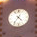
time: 4:36
